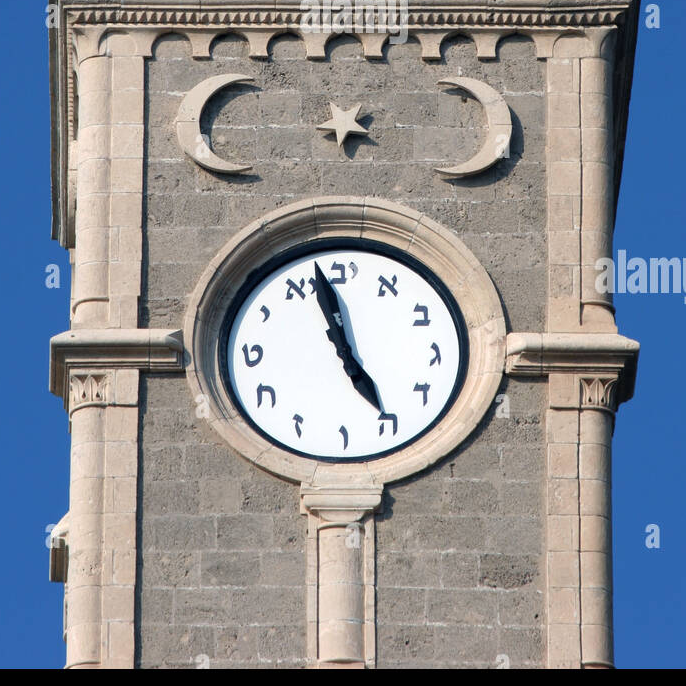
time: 4:57
